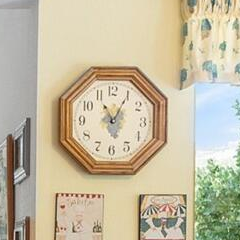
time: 11:04
